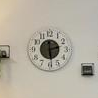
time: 2:29
